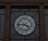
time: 3:43
